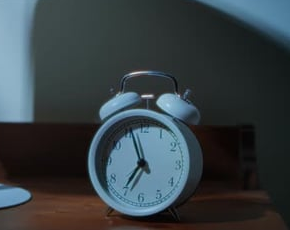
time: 6:56
